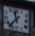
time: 11:36
